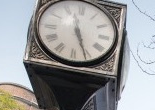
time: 11:25
